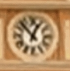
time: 12:53
